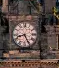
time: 8:26
